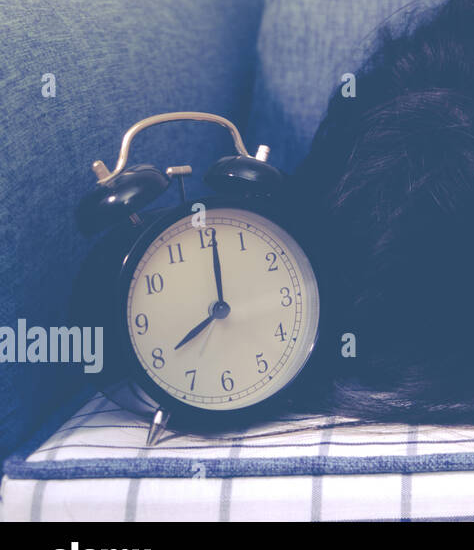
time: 8:01
